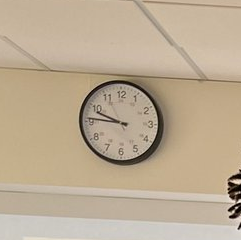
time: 9:45
